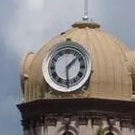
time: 1:29
